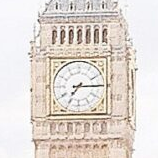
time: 7:15
